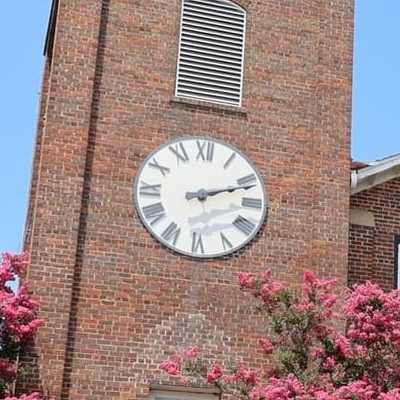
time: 2:11
